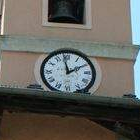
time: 1:58
